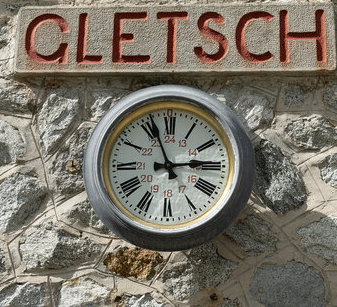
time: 2:56
